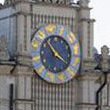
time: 10:20
